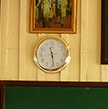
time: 11:28
